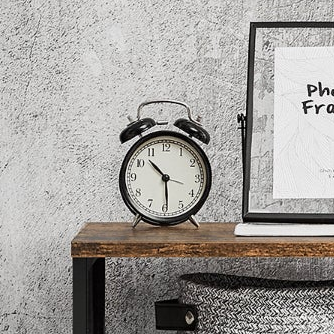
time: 10:29
